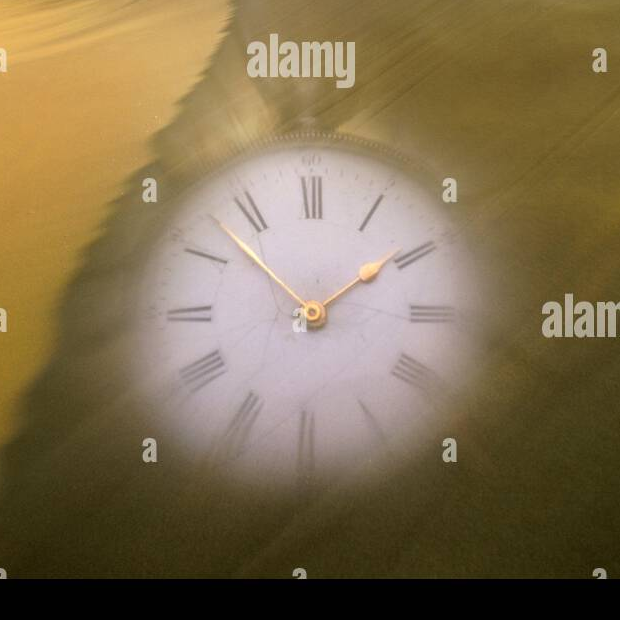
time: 1:52
